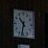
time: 10:32
